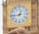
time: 12:43
